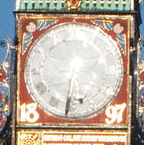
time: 5:31
